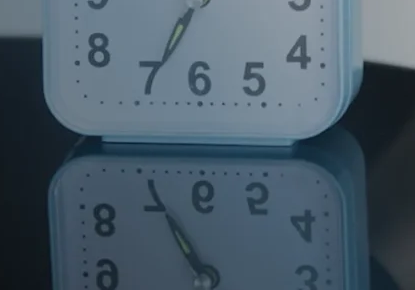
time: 12:34
